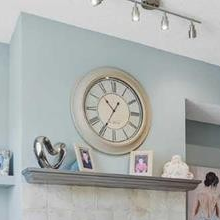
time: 10:35
